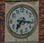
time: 7:16
